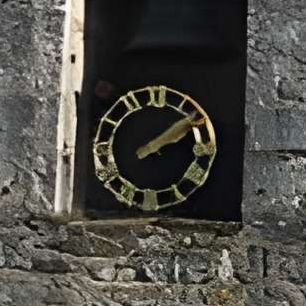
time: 2:08
